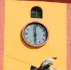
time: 5:59
